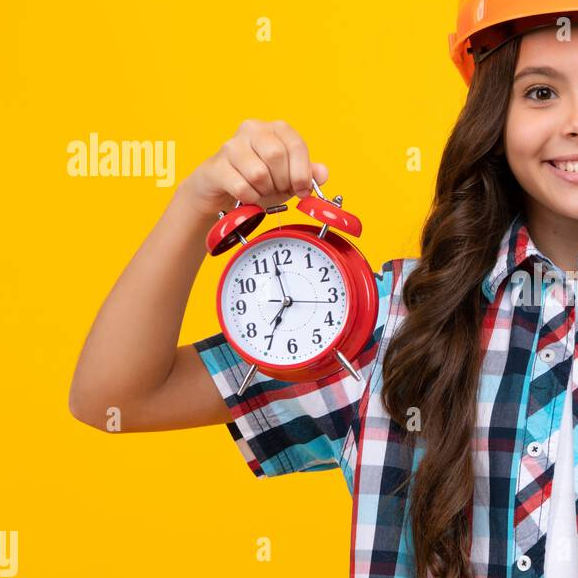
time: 6:58
